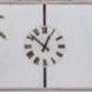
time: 12:51
